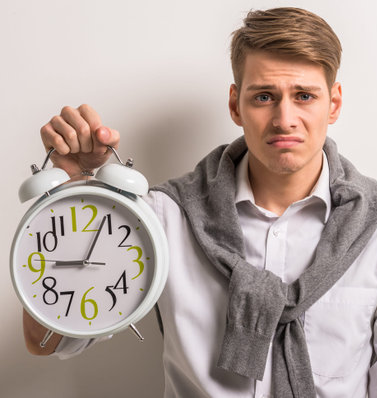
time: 9:04
